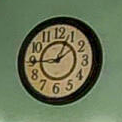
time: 12:44
